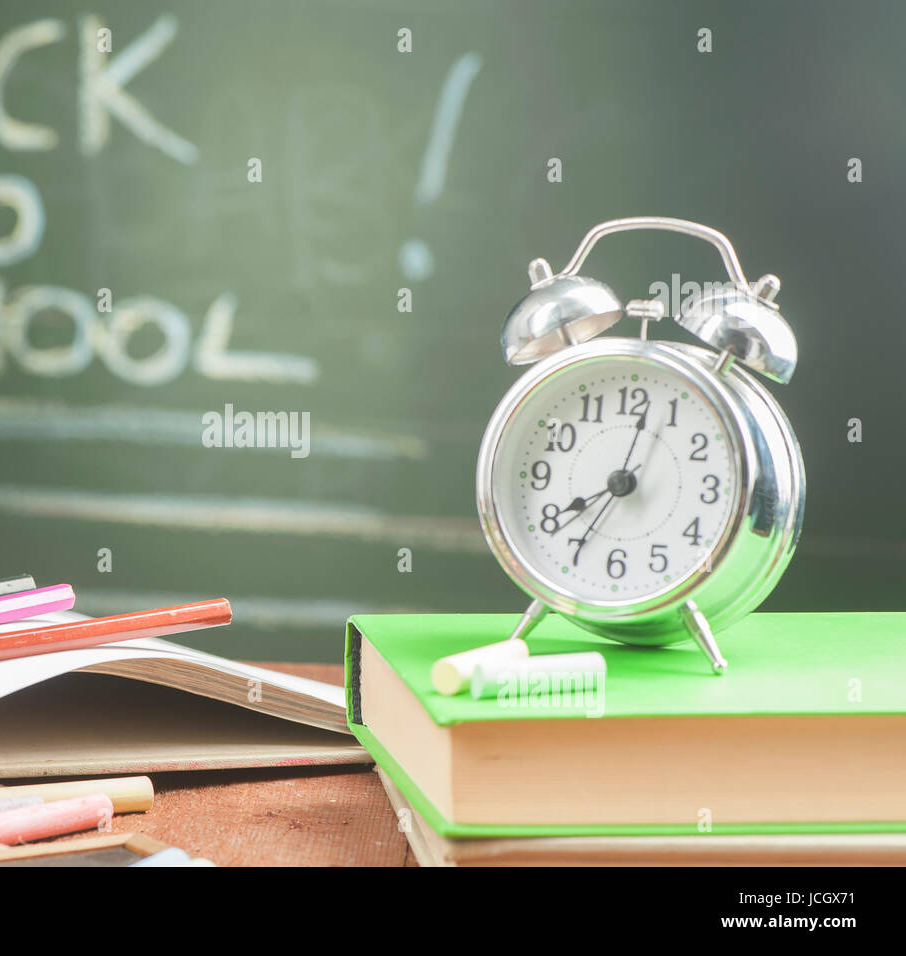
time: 8:02
